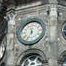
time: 11:34
